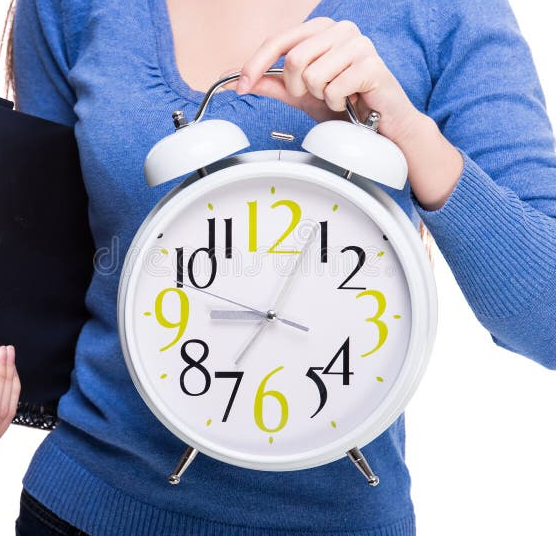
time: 9:04
